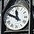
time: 11:48
